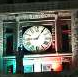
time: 9:05
